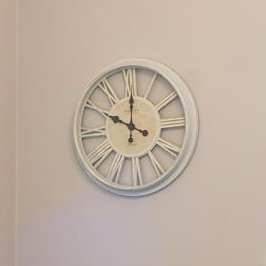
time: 10:00
